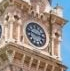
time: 2:46
